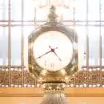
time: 4:40
